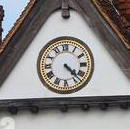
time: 4:22
